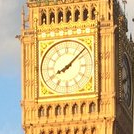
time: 8:07
